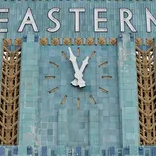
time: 12:57
